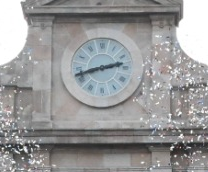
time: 2:42
